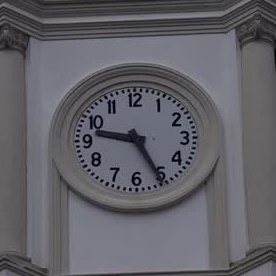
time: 9:25
